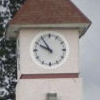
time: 9:54
